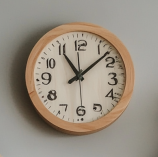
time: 11:07
